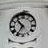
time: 10:35
